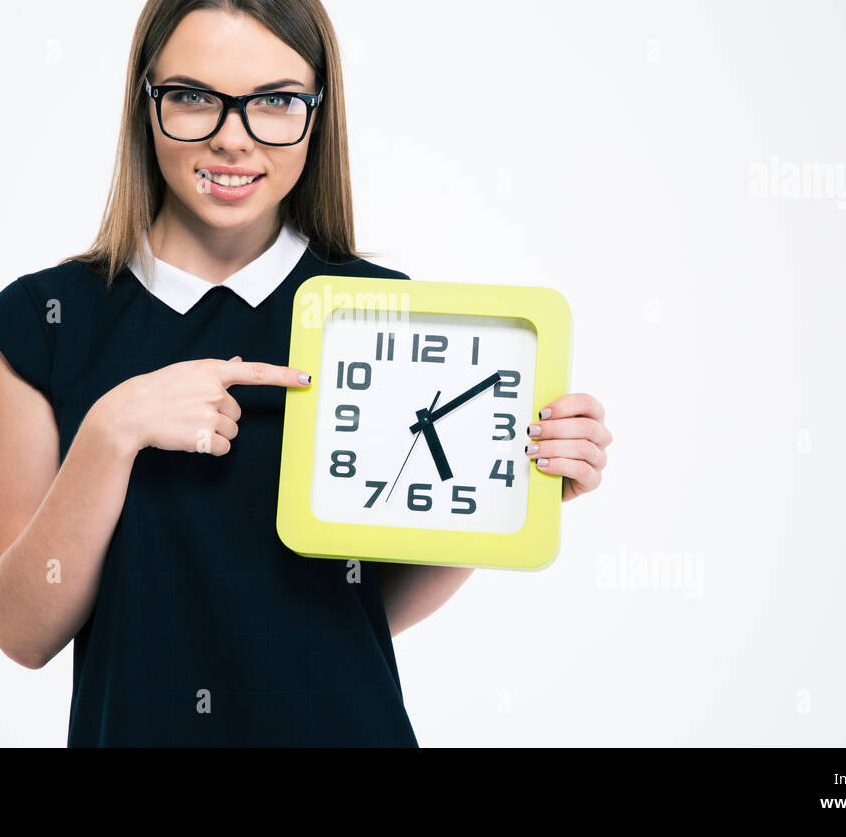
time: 5:08
